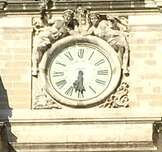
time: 6:29
